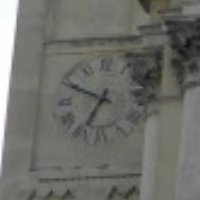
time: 6:49
